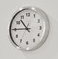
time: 10:44
